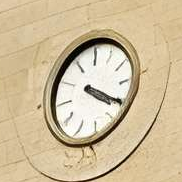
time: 4:20
